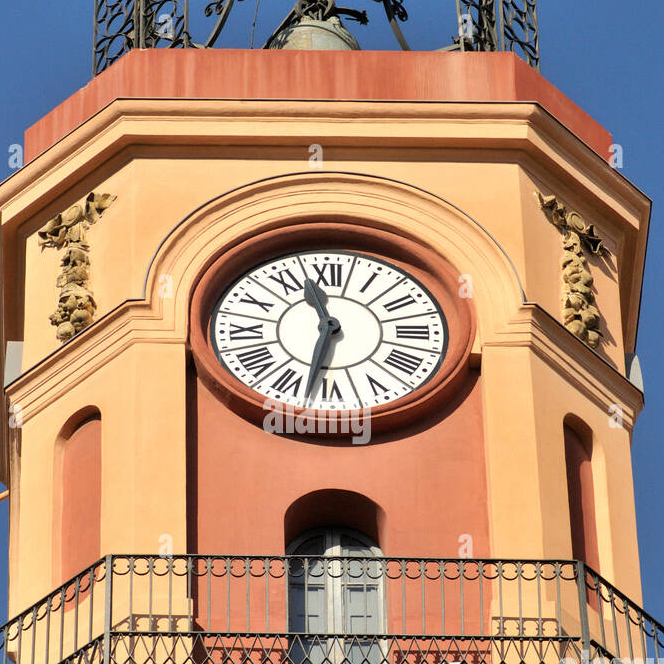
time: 11:32
